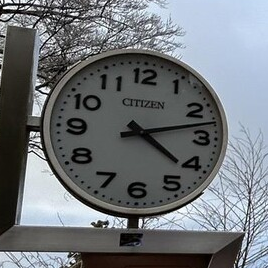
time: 4:12
